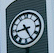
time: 8:25
